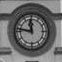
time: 11:46
